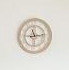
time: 11:13
